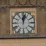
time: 12:02
